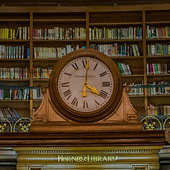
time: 4:01
